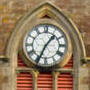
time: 1:34
